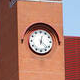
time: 12:22
